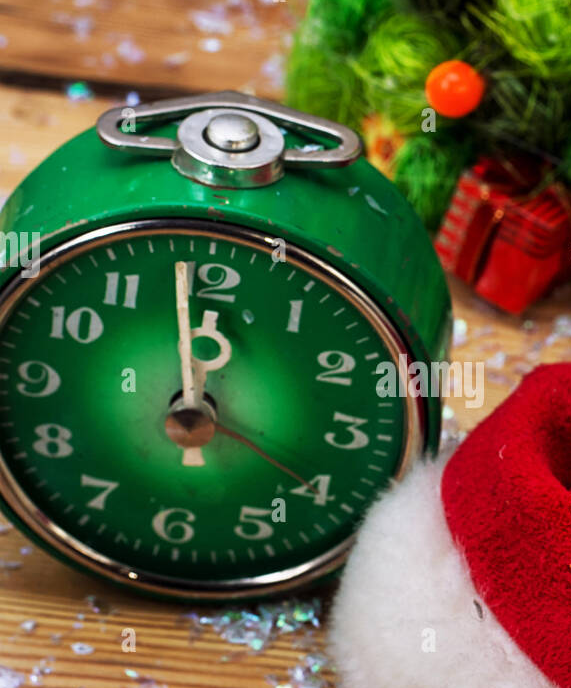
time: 11:58
